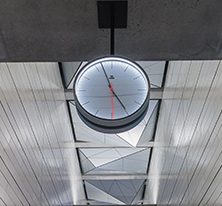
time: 4:56
